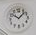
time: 10:07
